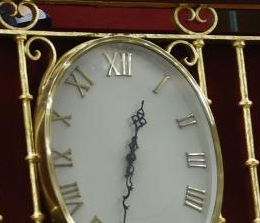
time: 12:32
